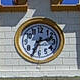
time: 2:34
